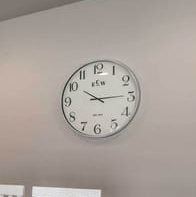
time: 10:14
